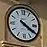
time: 4:20
